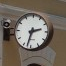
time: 2:32
